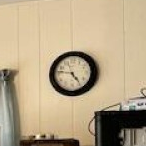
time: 4:46
